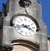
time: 3:42
